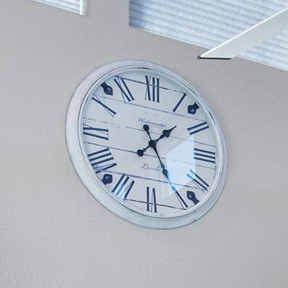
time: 1:25
